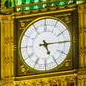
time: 5:14
